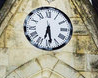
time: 6:28
